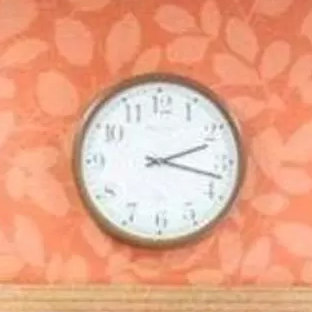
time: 2:17
